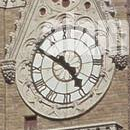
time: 4:50
